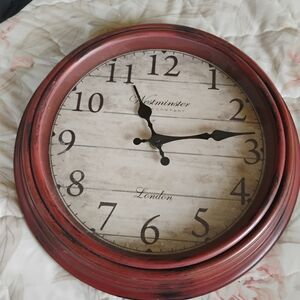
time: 11:13
